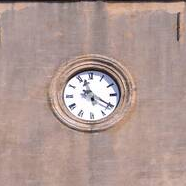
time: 11:20
